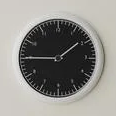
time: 1:45
